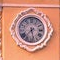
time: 7:28
